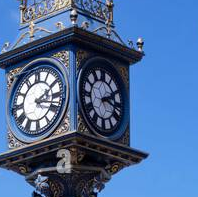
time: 2:18
